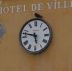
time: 5:47
